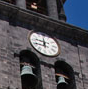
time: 11:46
